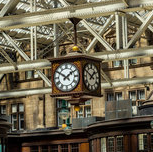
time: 1:50
